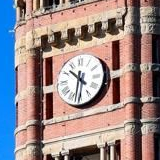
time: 10:32
